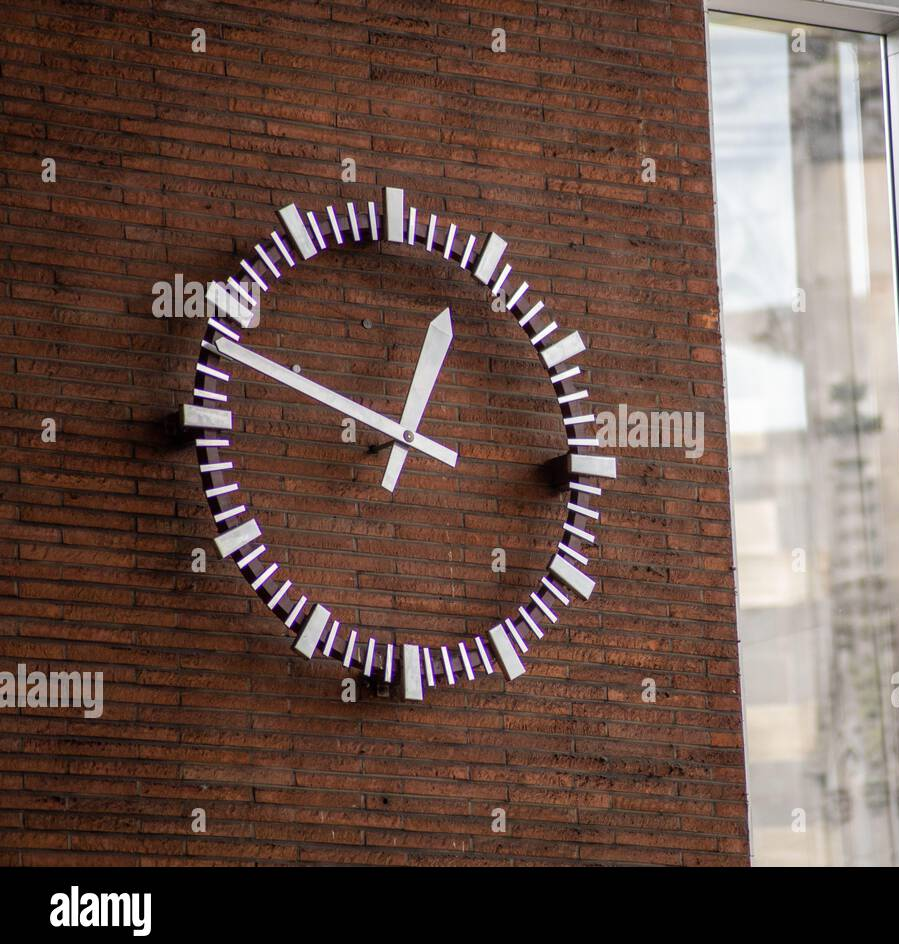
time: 12:48
